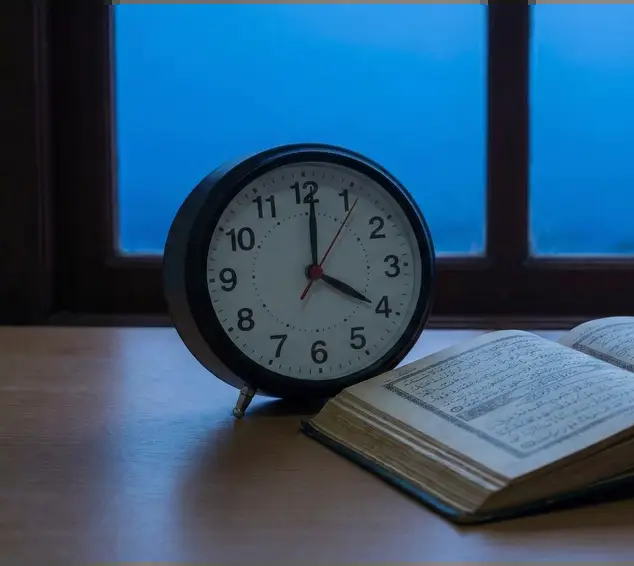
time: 4:00
